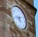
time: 4:42
